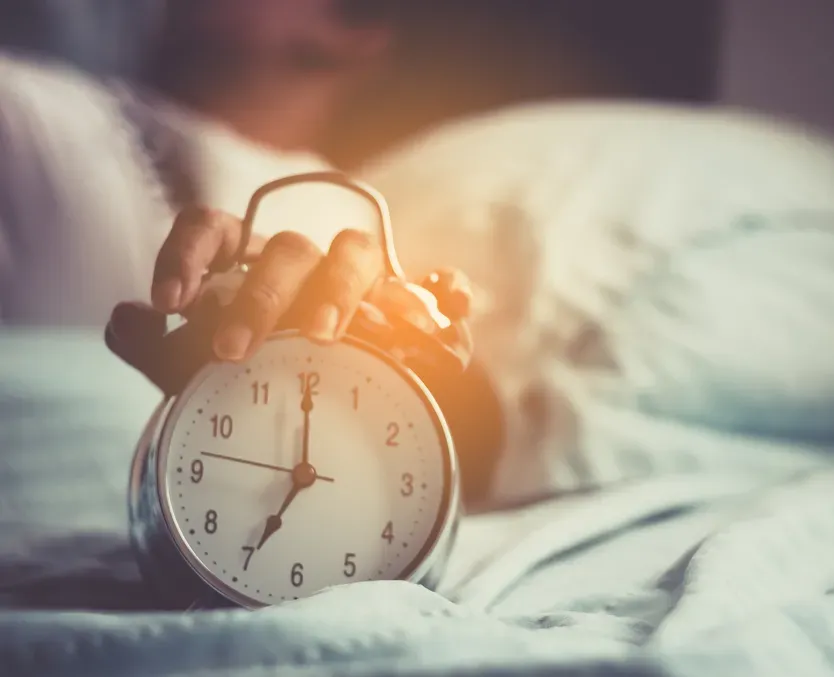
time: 6:59
